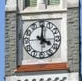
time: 4:00
